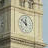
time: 11:52
